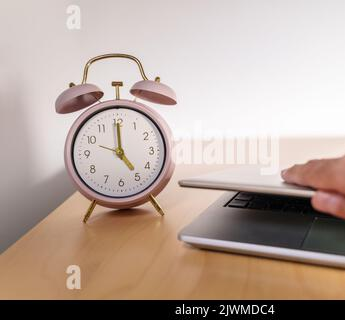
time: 5:00
